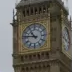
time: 10:46
